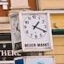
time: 1:18
